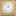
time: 12:52
